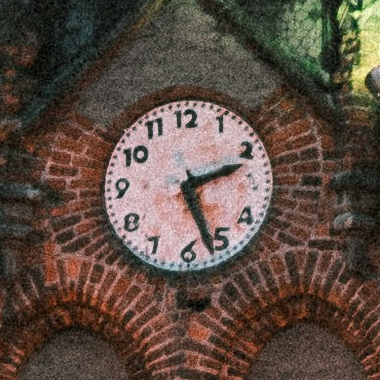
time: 2:26
